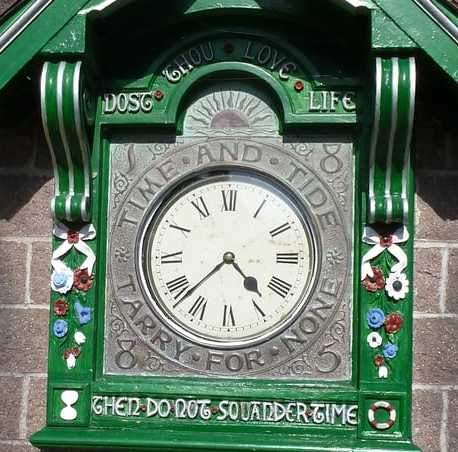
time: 4:37
